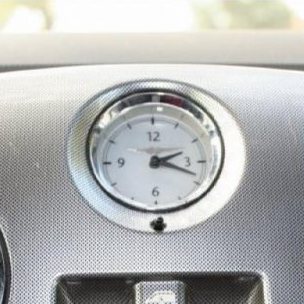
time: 2:18
